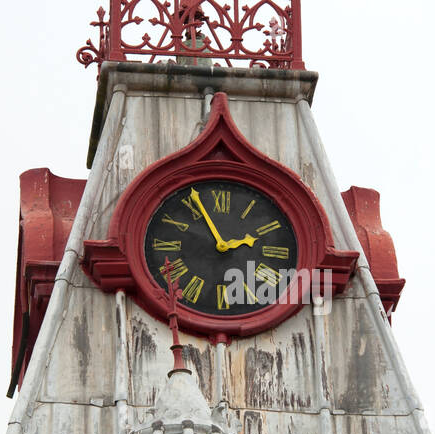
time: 1:56
